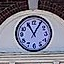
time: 11:05
